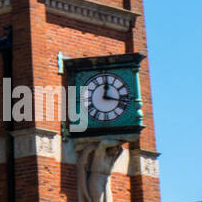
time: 12:17
